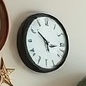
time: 2:51
